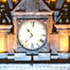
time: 10:37
